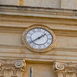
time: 1:39
